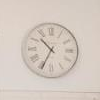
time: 10:34
